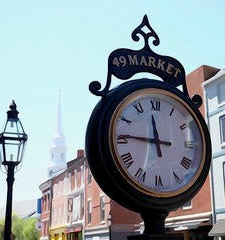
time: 11:45
